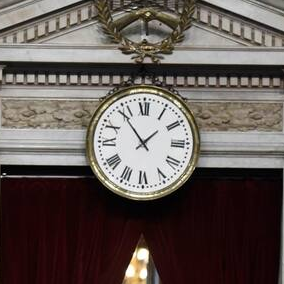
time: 1:53
